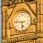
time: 5:45
